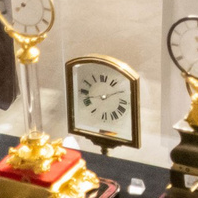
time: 8:09
